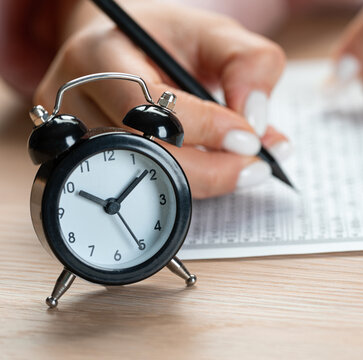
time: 10:08
